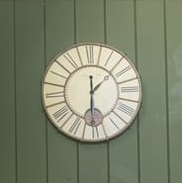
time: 1:30
